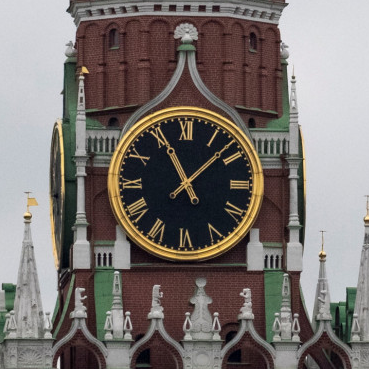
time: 11:07
